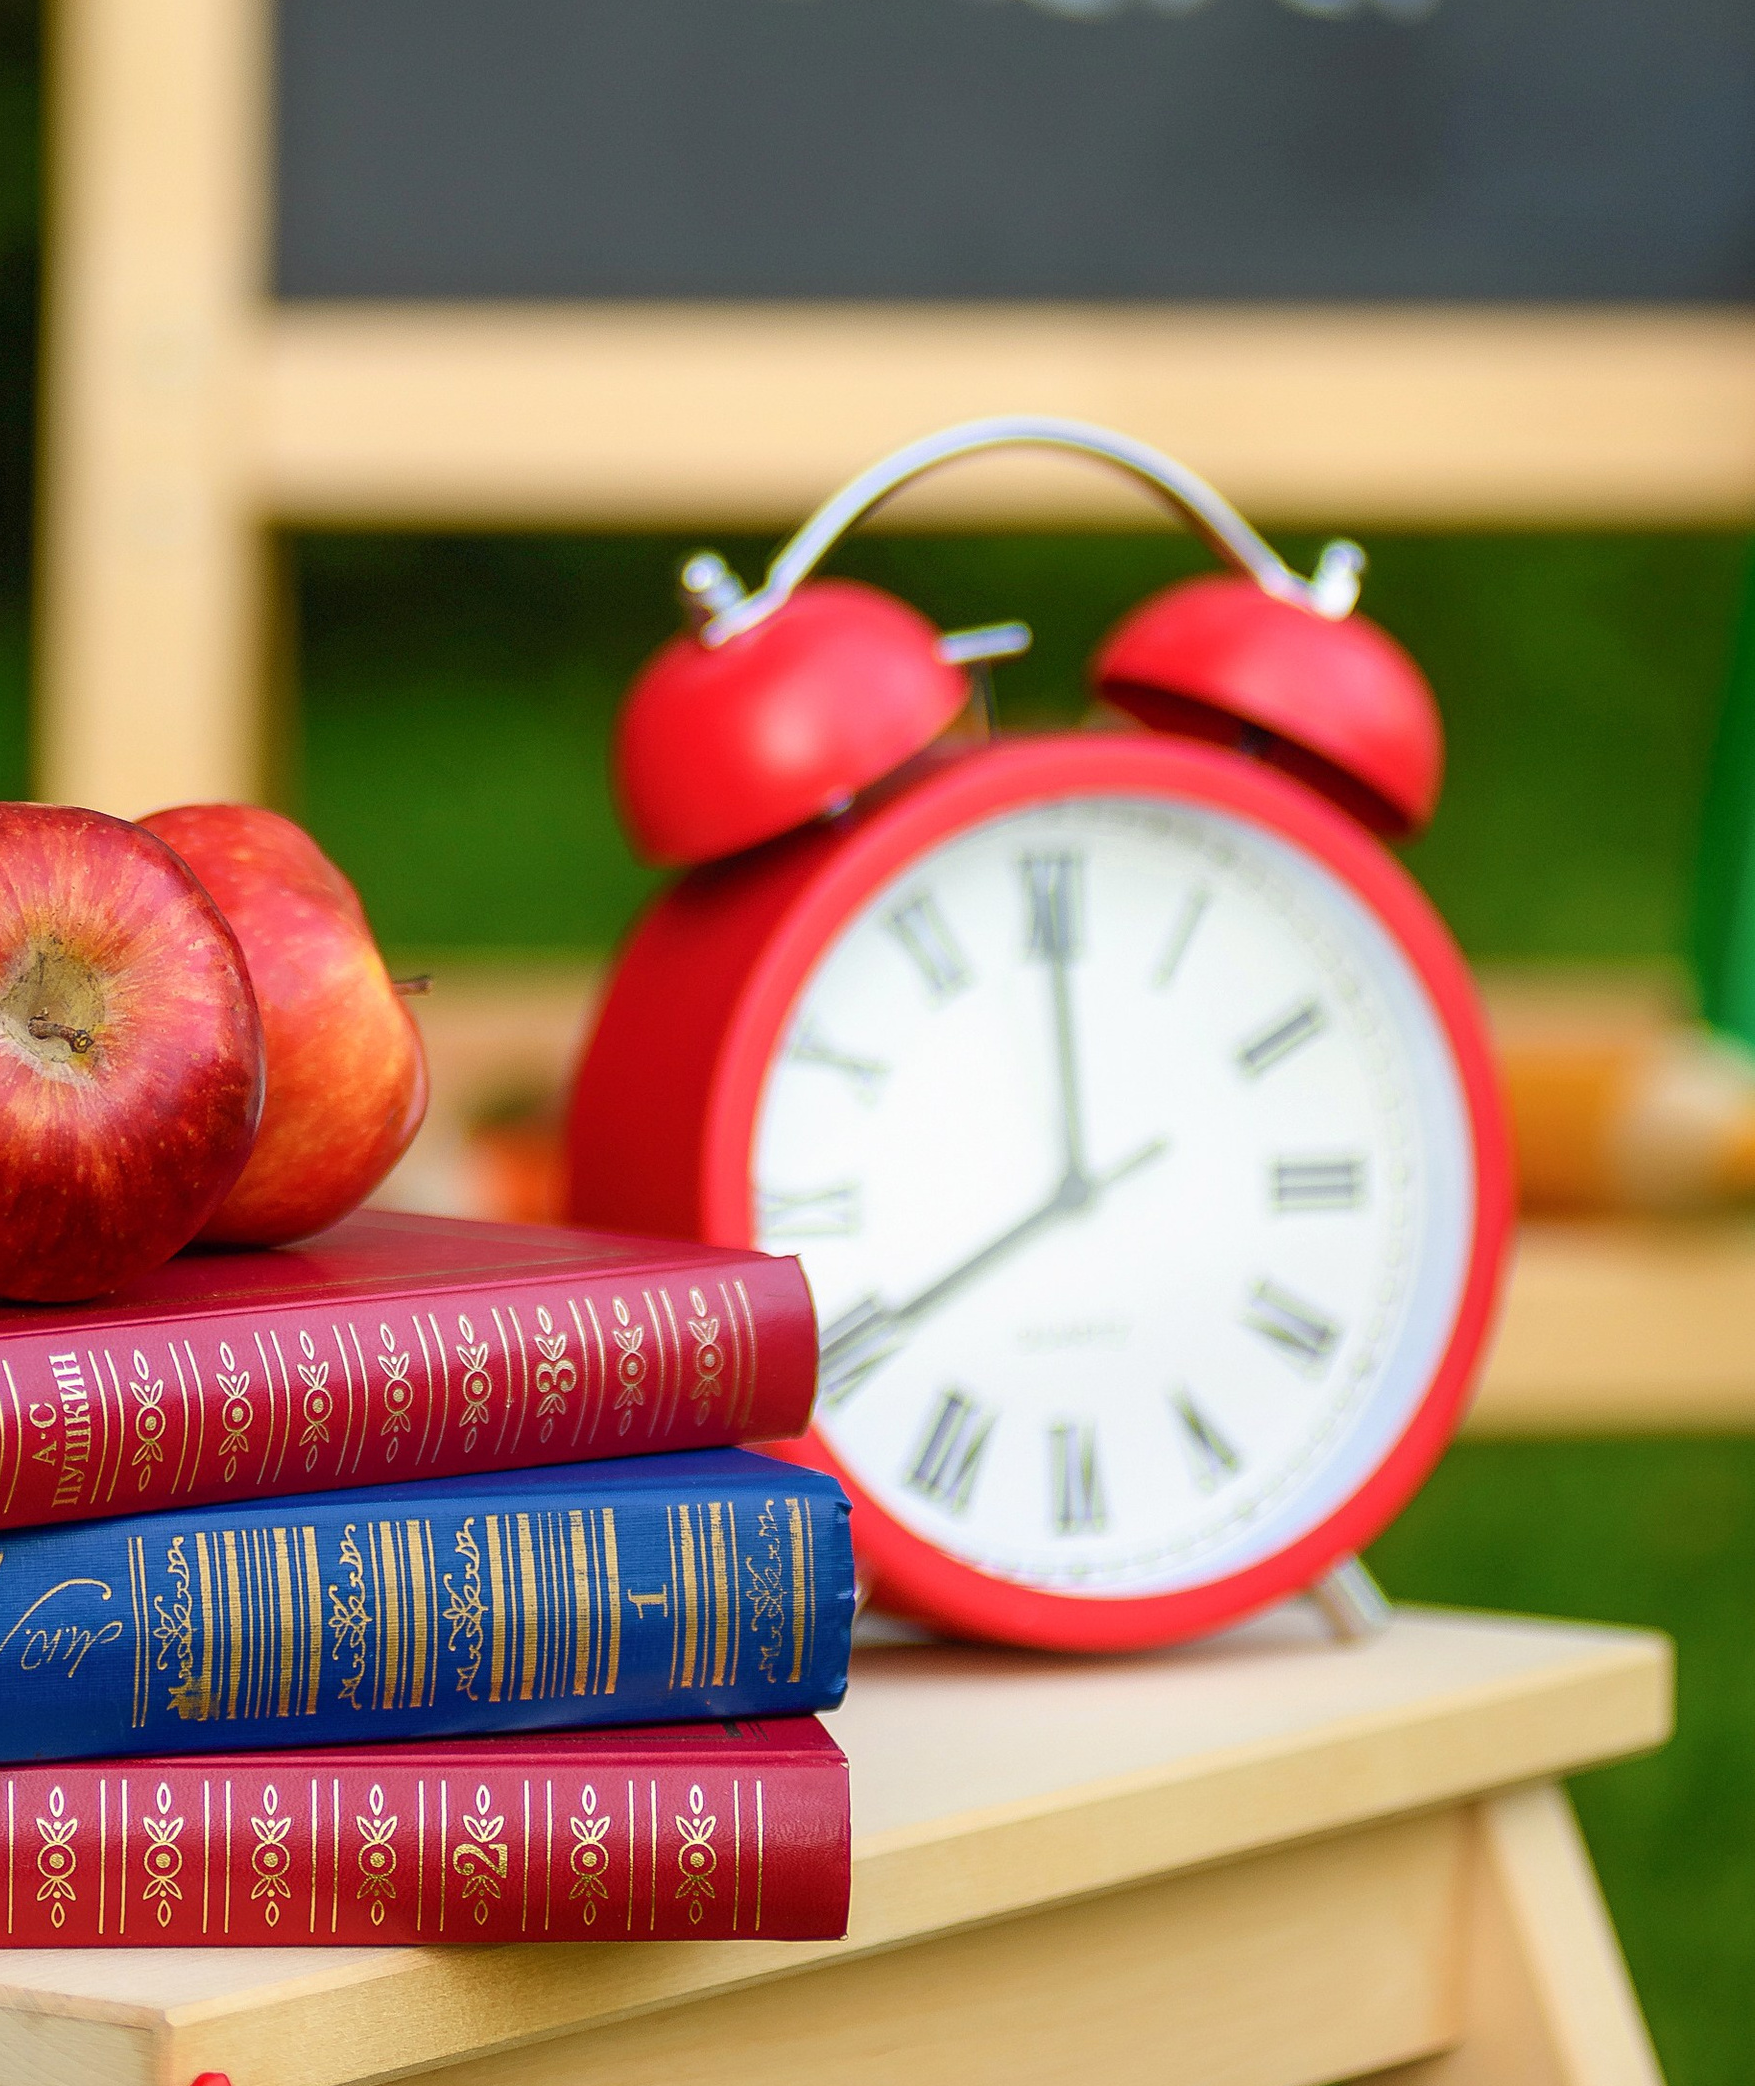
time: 7:59
